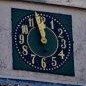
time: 11:57
